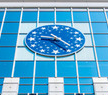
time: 9:22
